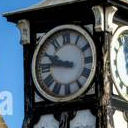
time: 9:45
